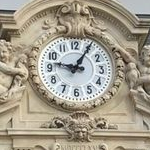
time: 9:05
